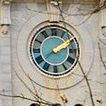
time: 2:09
